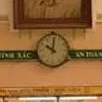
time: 10:00
